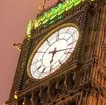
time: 6:17
